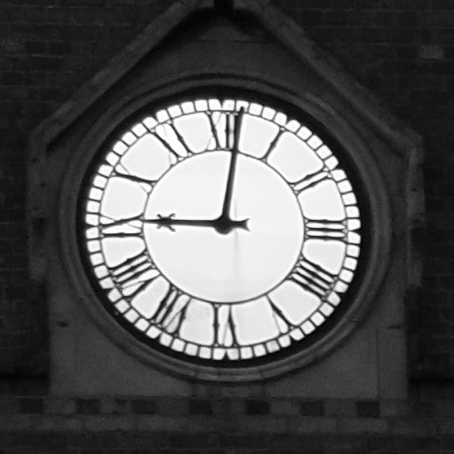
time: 9:01
